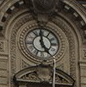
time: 4:59
